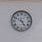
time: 4:49
